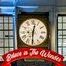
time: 12:30
